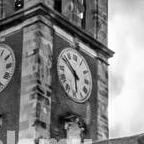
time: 5:51
